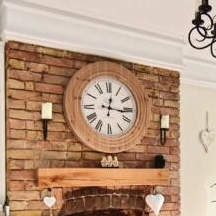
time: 12:16
